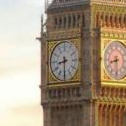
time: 8:30
